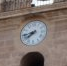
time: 7:43
